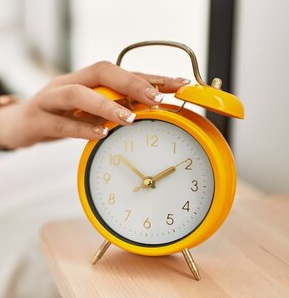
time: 1:51
